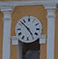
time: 4:52
